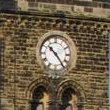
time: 10:24
